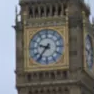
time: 9:36
